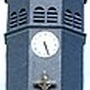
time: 5:26
